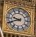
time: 9:41
